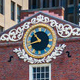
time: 10:42
